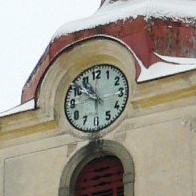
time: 10:50
